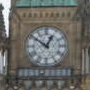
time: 12:51
